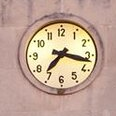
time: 7:17
